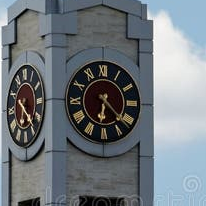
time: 6:21
